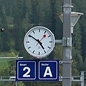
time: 4:50
